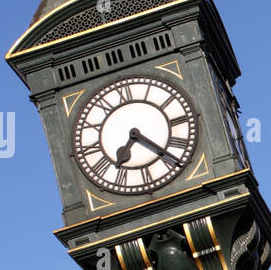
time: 7:23
